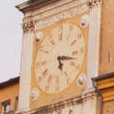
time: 5:17
